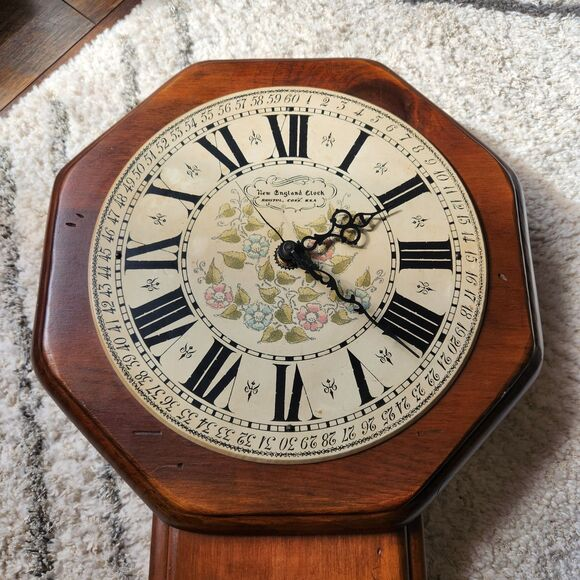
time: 2:21
